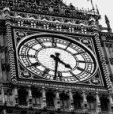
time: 4:31
